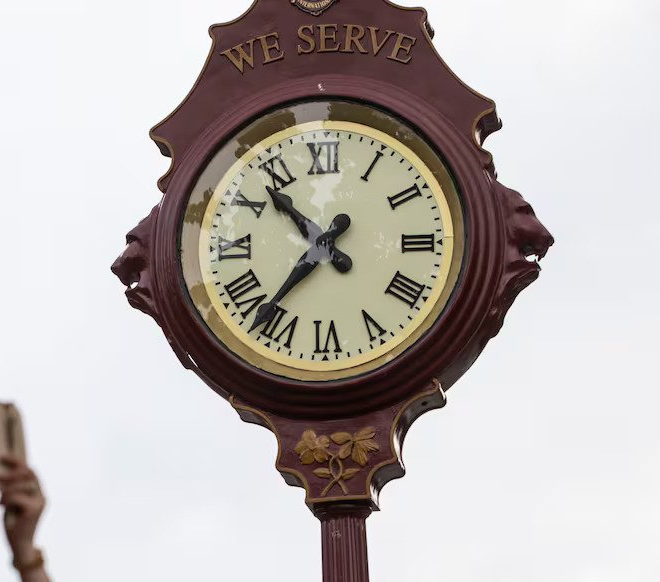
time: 10:36
